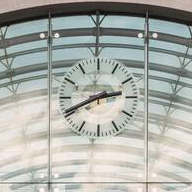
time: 2:40
